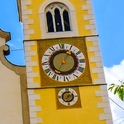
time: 7:06
